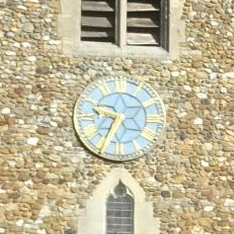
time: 9:34
